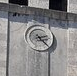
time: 2:23
